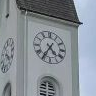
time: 4:35
